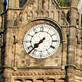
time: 7:37
